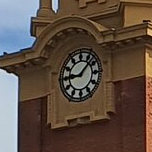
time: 9:07
